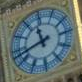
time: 11:42
